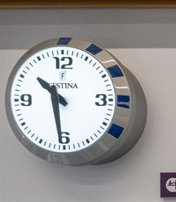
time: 10:30
